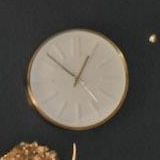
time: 12:52
